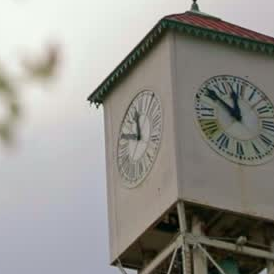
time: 11:48
